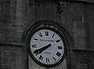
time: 7:40
